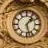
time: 1:27
